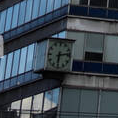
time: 6:13
